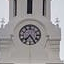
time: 7:24
